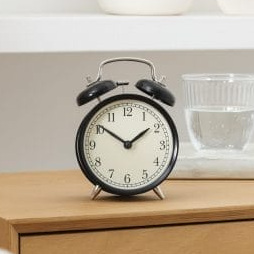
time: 1:50
